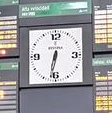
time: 6:32
